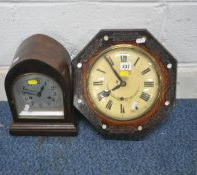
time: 7:54
